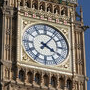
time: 4:06
